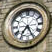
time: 7:25
